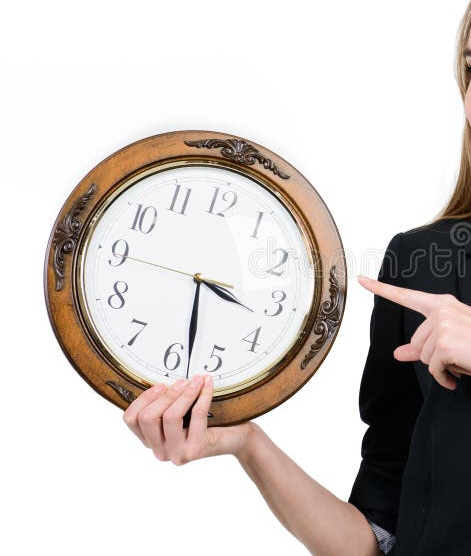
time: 3:28
